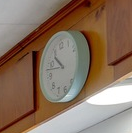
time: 10:47
